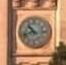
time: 10:42
